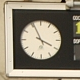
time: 3:55
